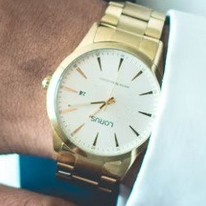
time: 7:45
